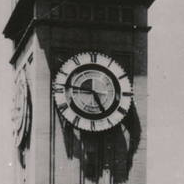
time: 4:46
